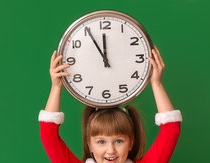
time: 11:55
